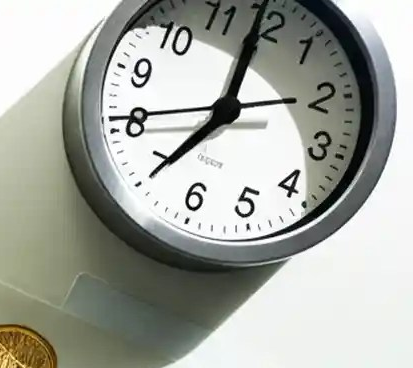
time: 6:59
